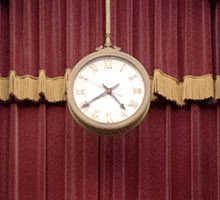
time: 4:39
